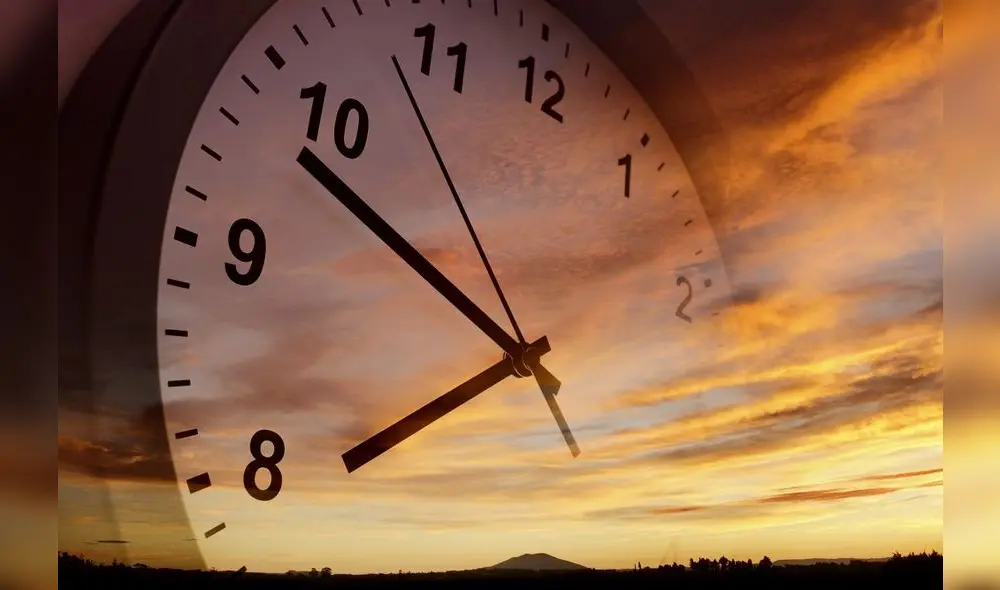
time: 7:53
